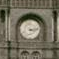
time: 3:13
